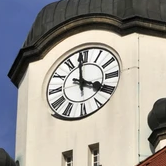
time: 3:58
